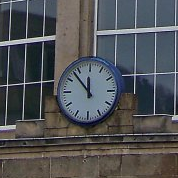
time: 11:52
